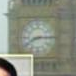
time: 8:14
